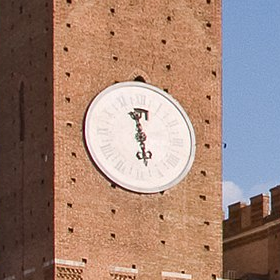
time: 11:28
